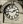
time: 1:46
